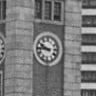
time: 9:44
